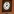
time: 3:37
